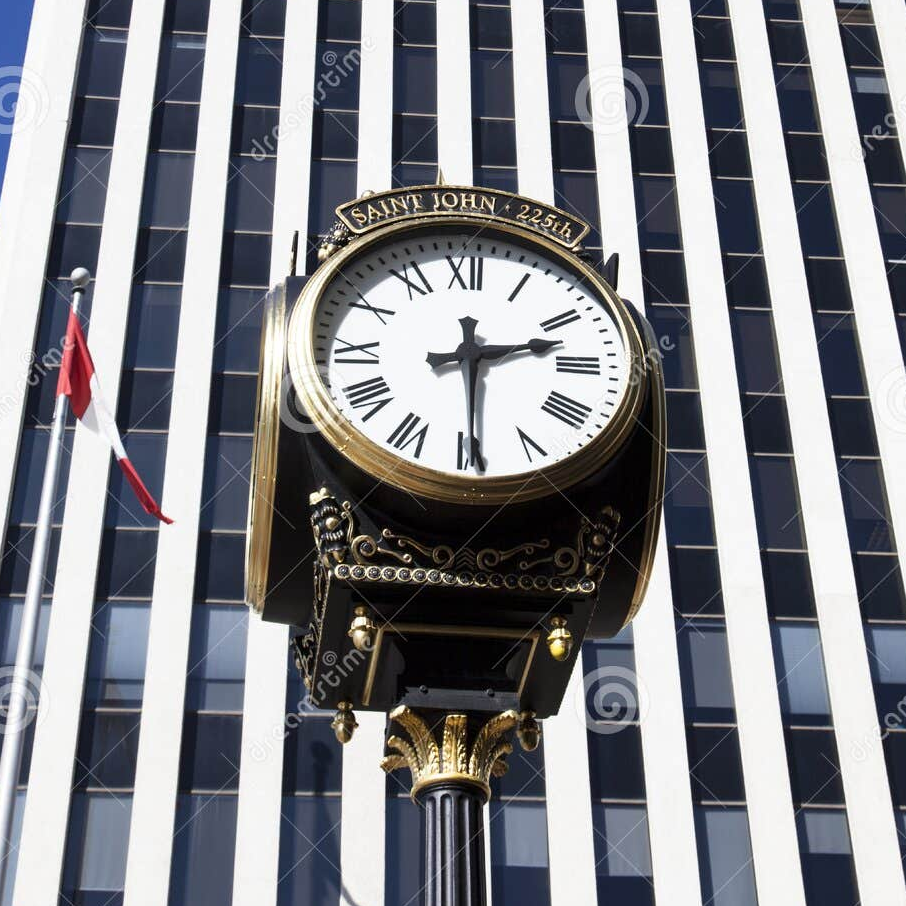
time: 2:29
